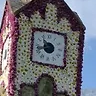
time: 10:42
